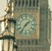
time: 1:36
